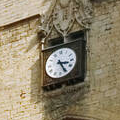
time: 3:25
